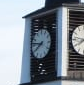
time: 7:46
